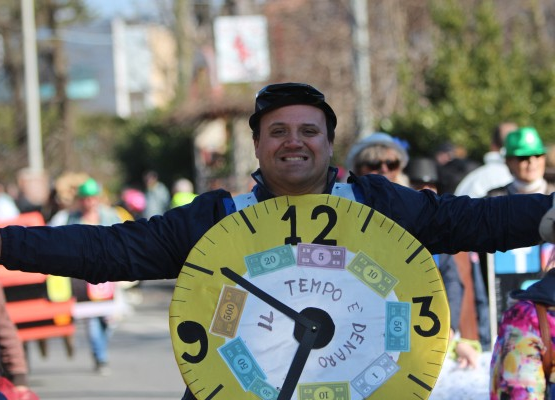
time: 6:50
